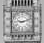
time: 9:12
